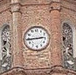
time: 2:44
